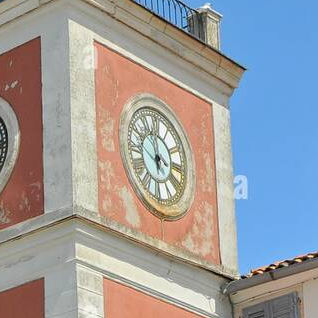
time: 5:59
